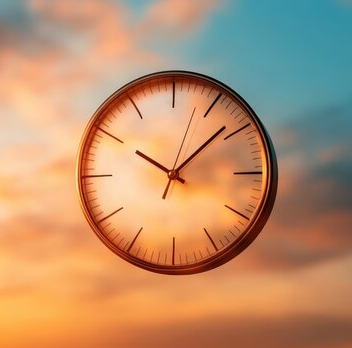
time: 10:08
